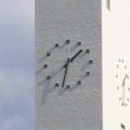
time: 1:32
